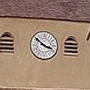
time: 3:51
